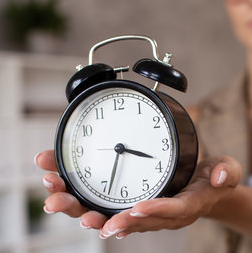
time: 3:33
